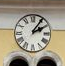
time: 2:05
